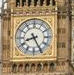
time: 8:25
